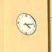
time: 4:12
